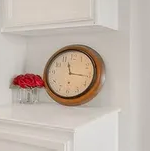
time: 11:16
